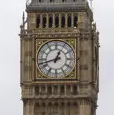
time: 12:42
